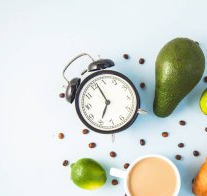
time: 6:56
